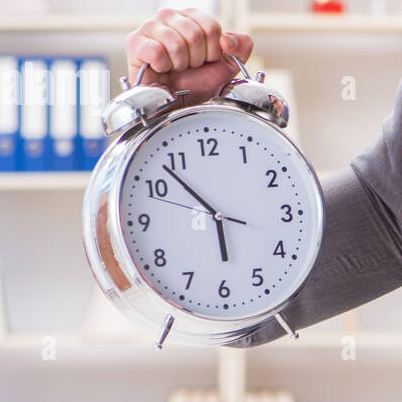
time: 5:53
